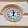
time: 1:01
